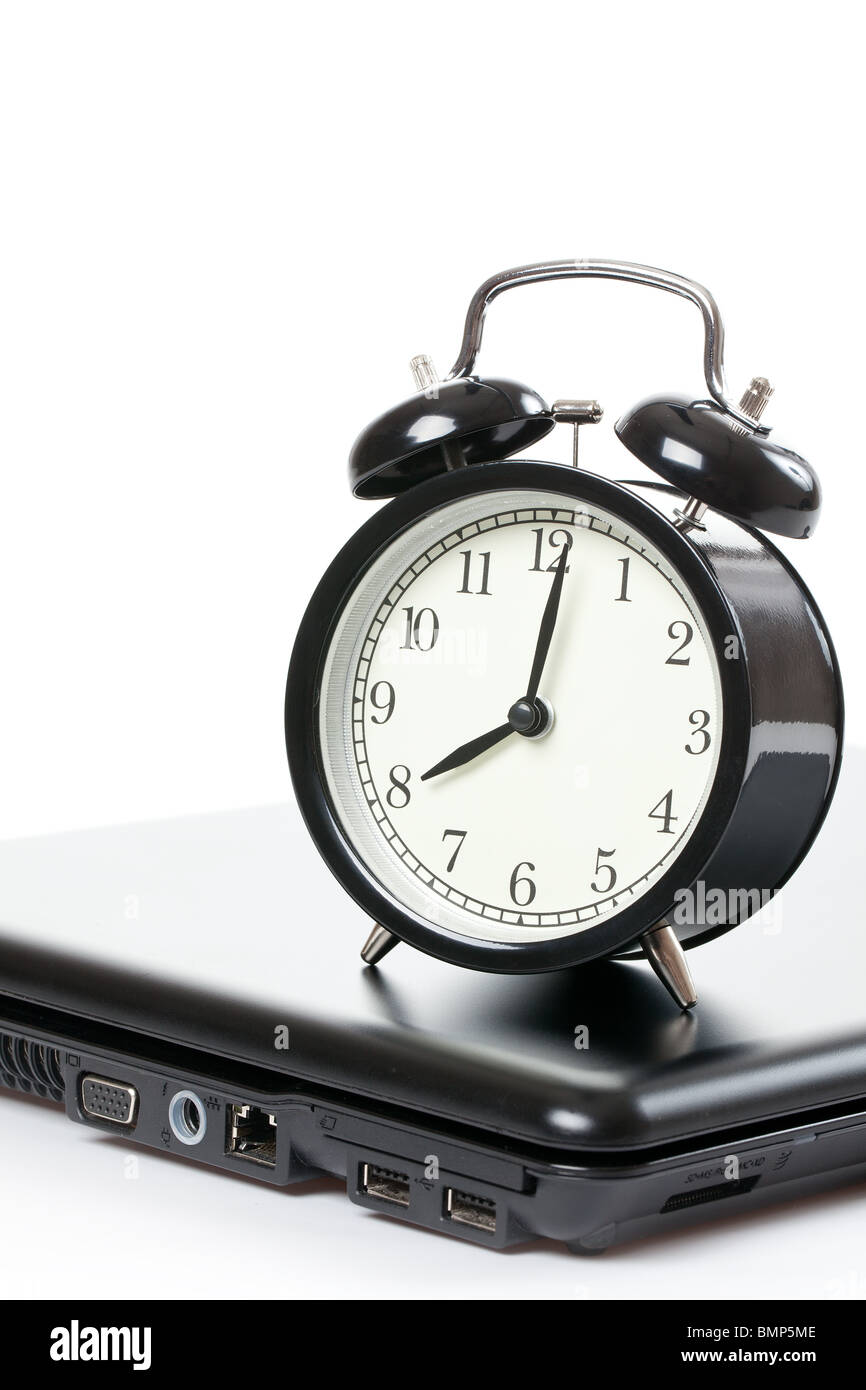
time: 8:01
